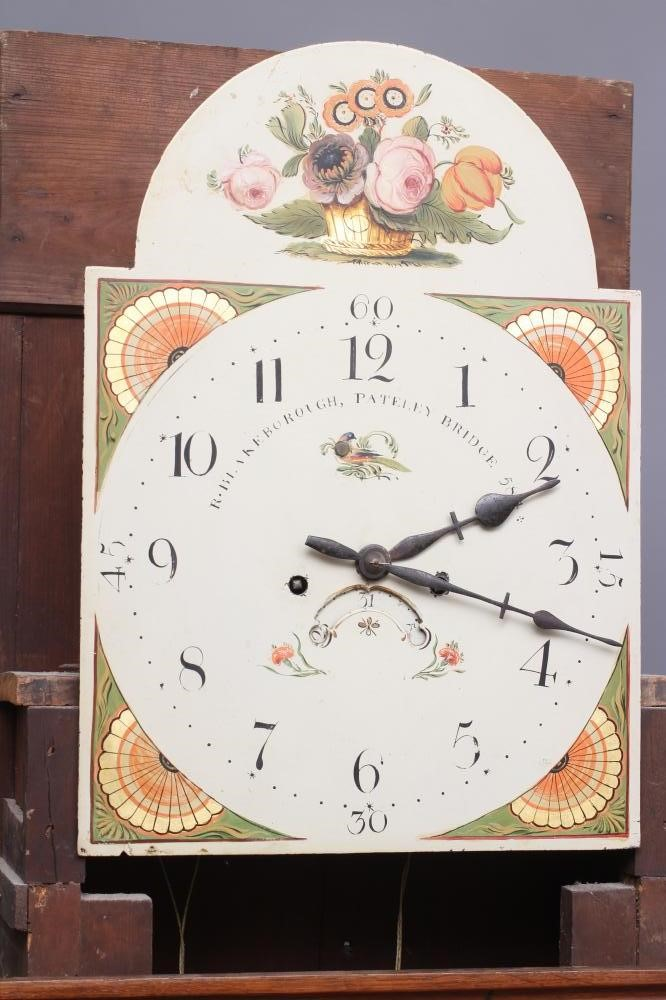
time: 2:18
